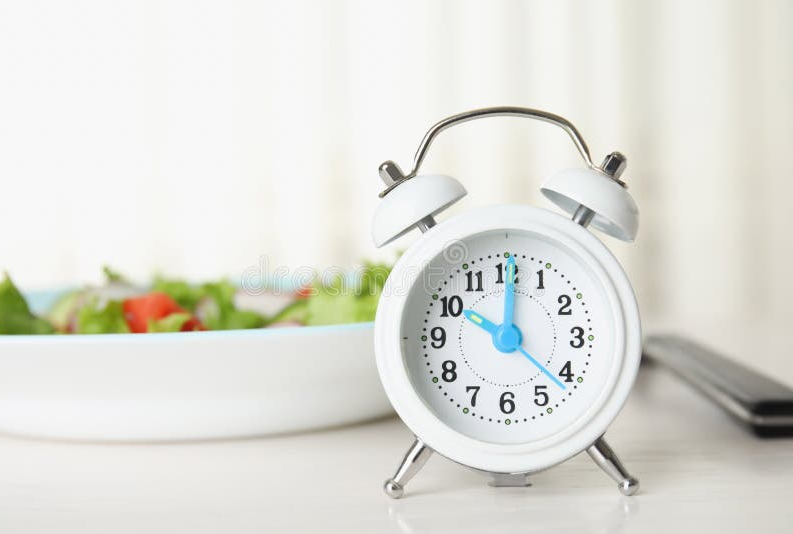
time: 10:01
